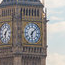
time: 6:07
